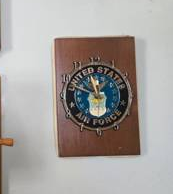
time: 11:48
